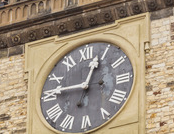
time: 12:46
